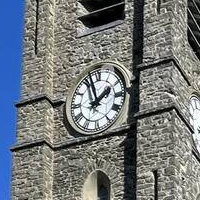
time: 1:57
